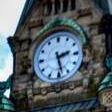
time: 2:28
